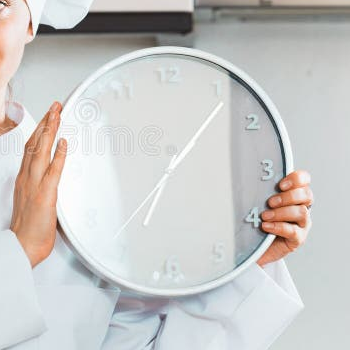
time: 7:06
